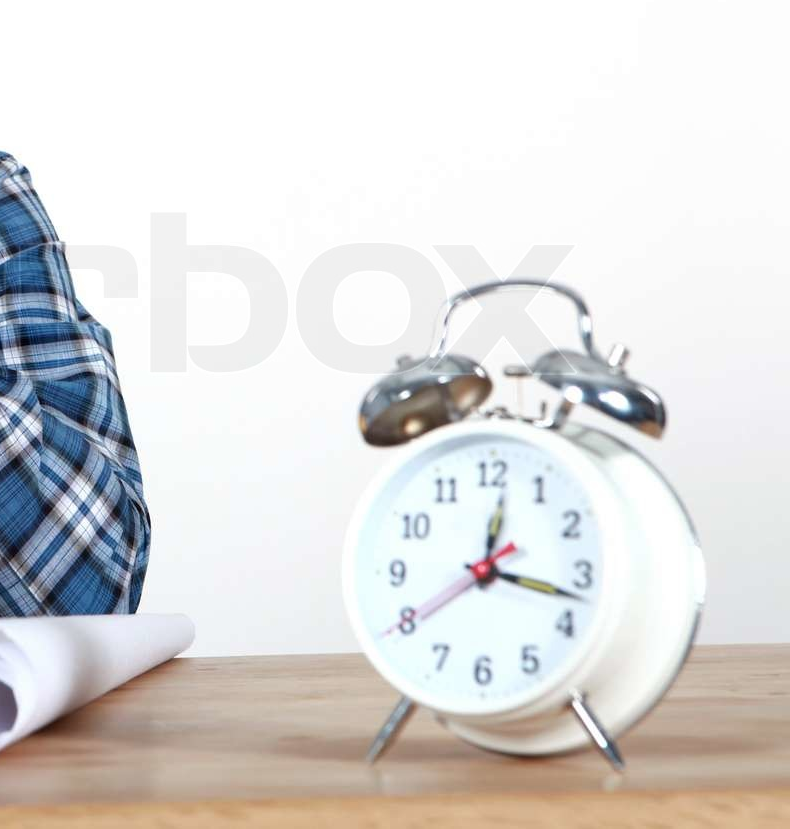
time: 12:17
